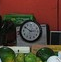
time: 2:50
